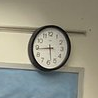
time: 5:44
